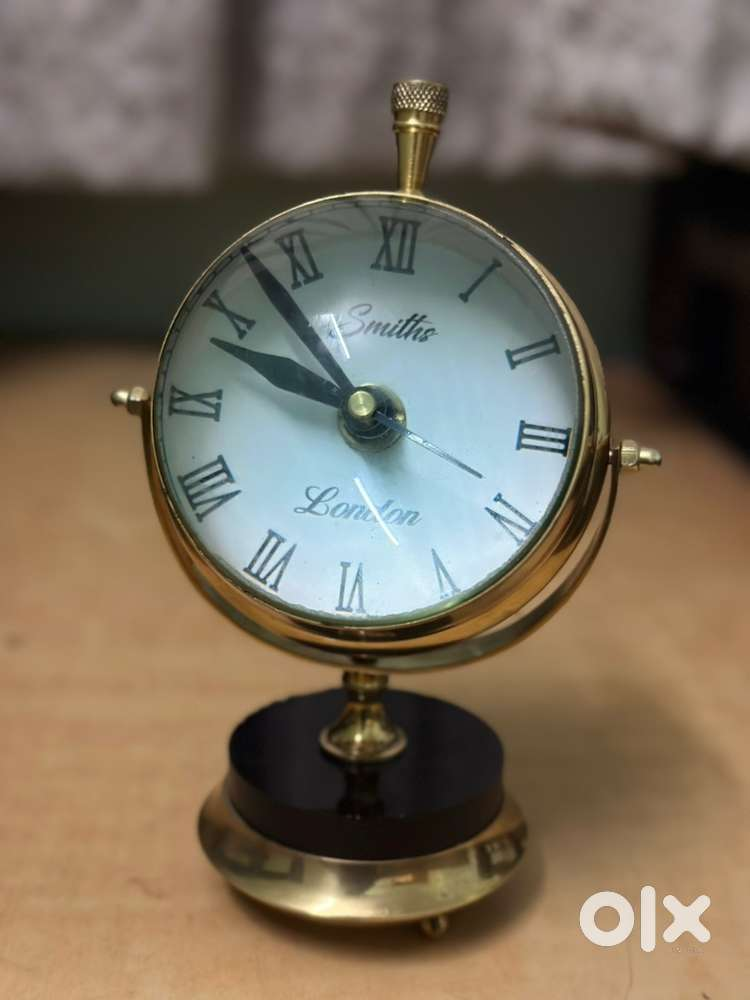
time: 9:53
